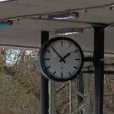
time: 1:53
